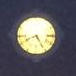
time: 8:25
